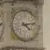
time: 4:12
